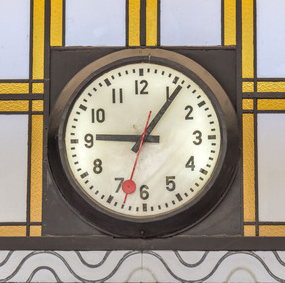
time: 9:06
